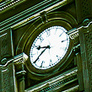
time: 9:40
